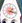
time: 1:17
